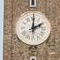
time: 2:00
